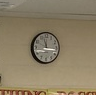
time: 11:16
